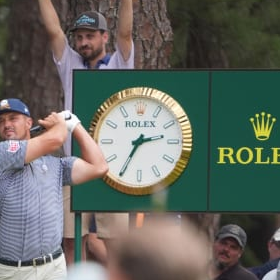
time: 2:34
